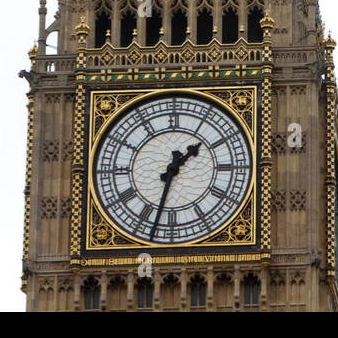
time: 1:32
